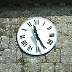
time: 11:25
